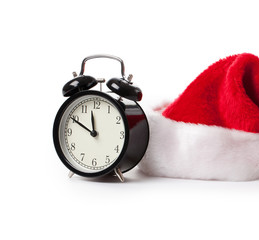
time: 11:49
